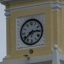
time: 2:38
